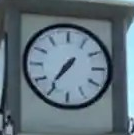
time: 7:36
